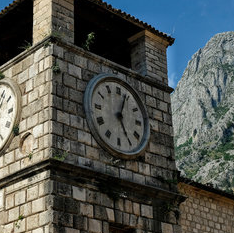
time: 5:03
